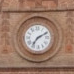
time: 7:10
